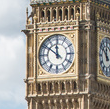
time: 11:51
